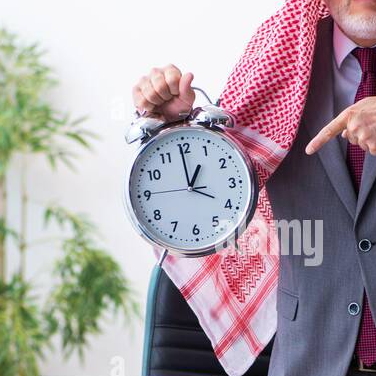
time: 12:59
